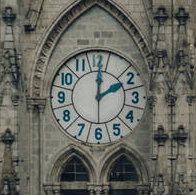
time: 2:01
